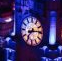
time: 7:13
